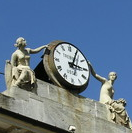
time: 3:04
